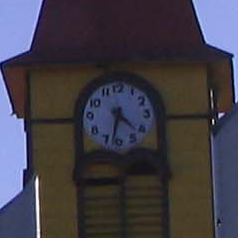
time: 4:32
